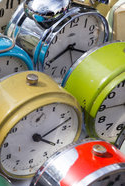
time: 4:12
